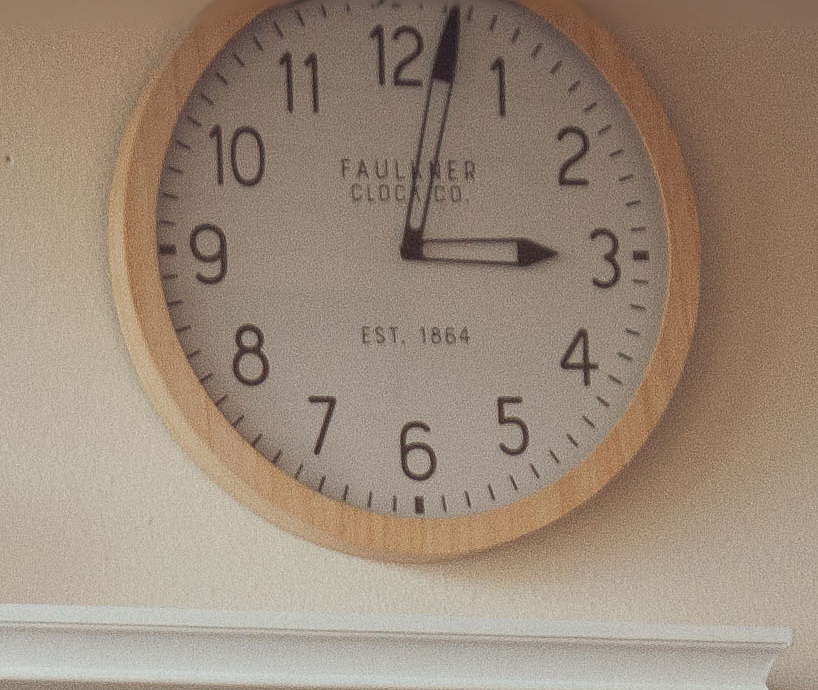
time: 3:02
